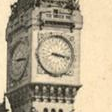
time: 3:16
